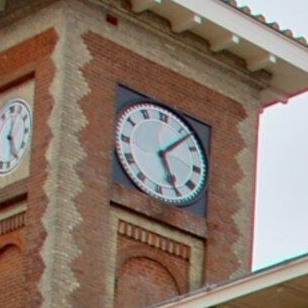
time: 5:06
